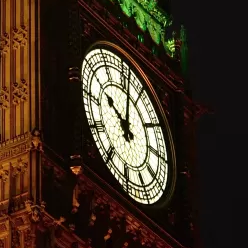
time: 10:02
